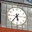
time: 5:36
